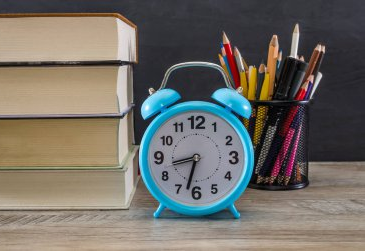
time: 8:32
